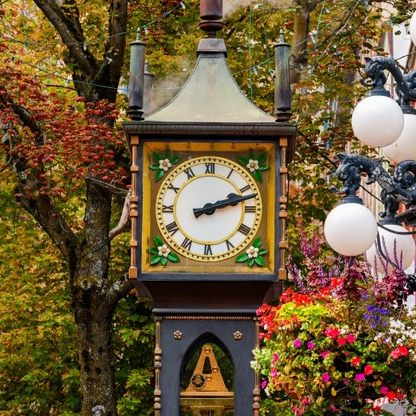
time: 2:12
